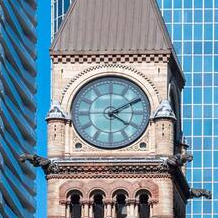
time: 4:10
